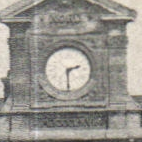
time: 2:29
